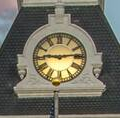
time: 9:13
